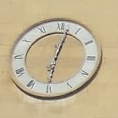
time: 6:02
